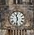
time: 11:32
